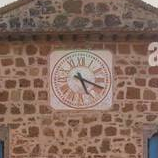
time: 5:18
